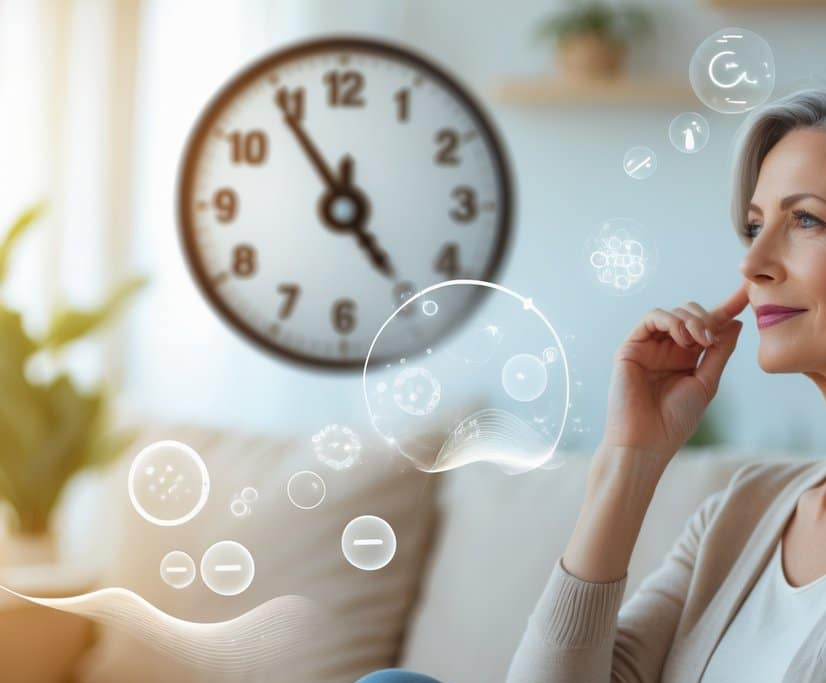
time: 4:54
